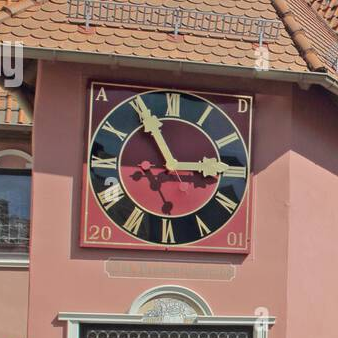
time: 2:55
